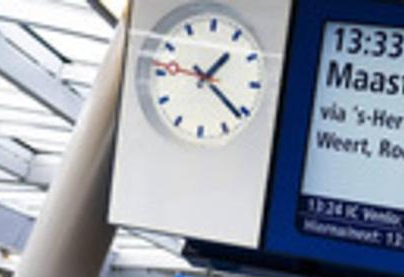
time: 1:21
